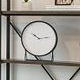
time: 10:13
